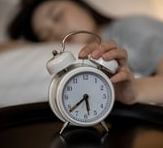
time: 5:38
